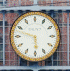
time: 5:47
